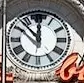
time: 11:52
